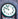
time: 9:57
